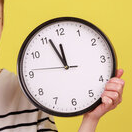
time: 11:56
